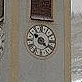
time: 10:21
